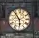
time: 5:53
